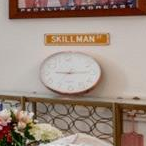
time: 9:14
